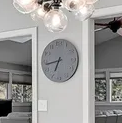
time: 6:43
